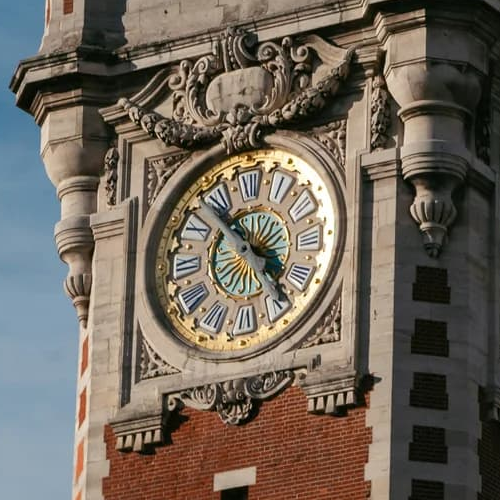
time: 4:52
